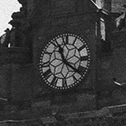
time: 11:21
